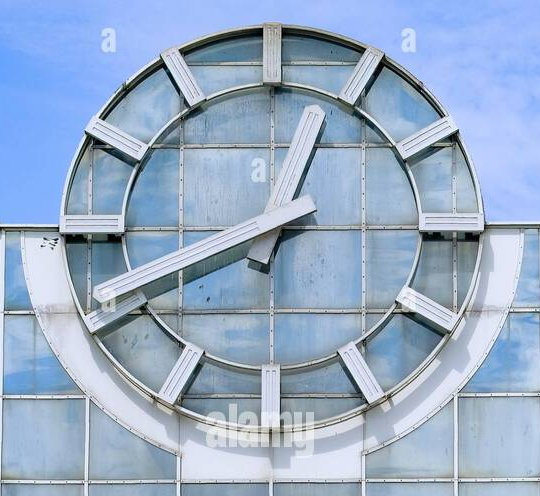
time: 12:41
